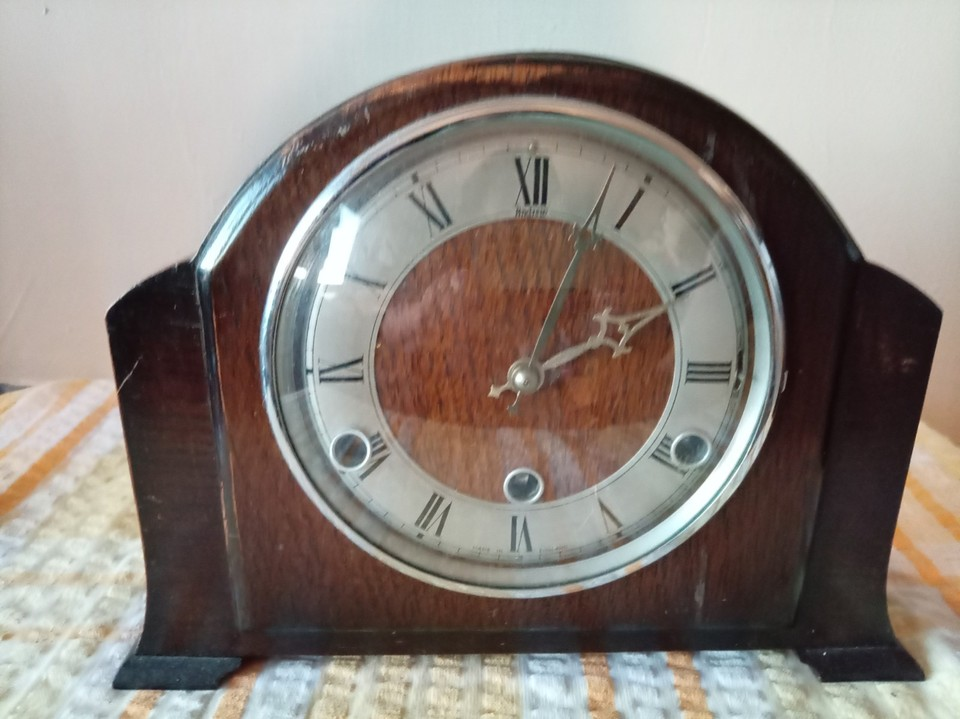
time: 2:03
